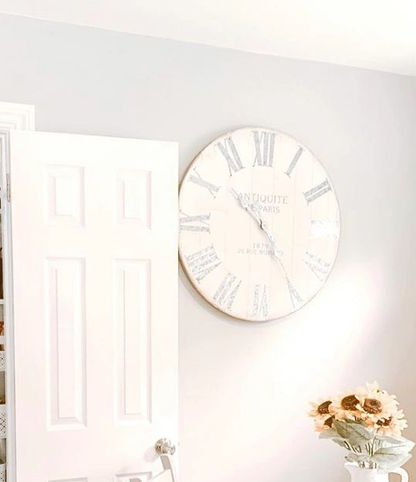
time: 10:24
